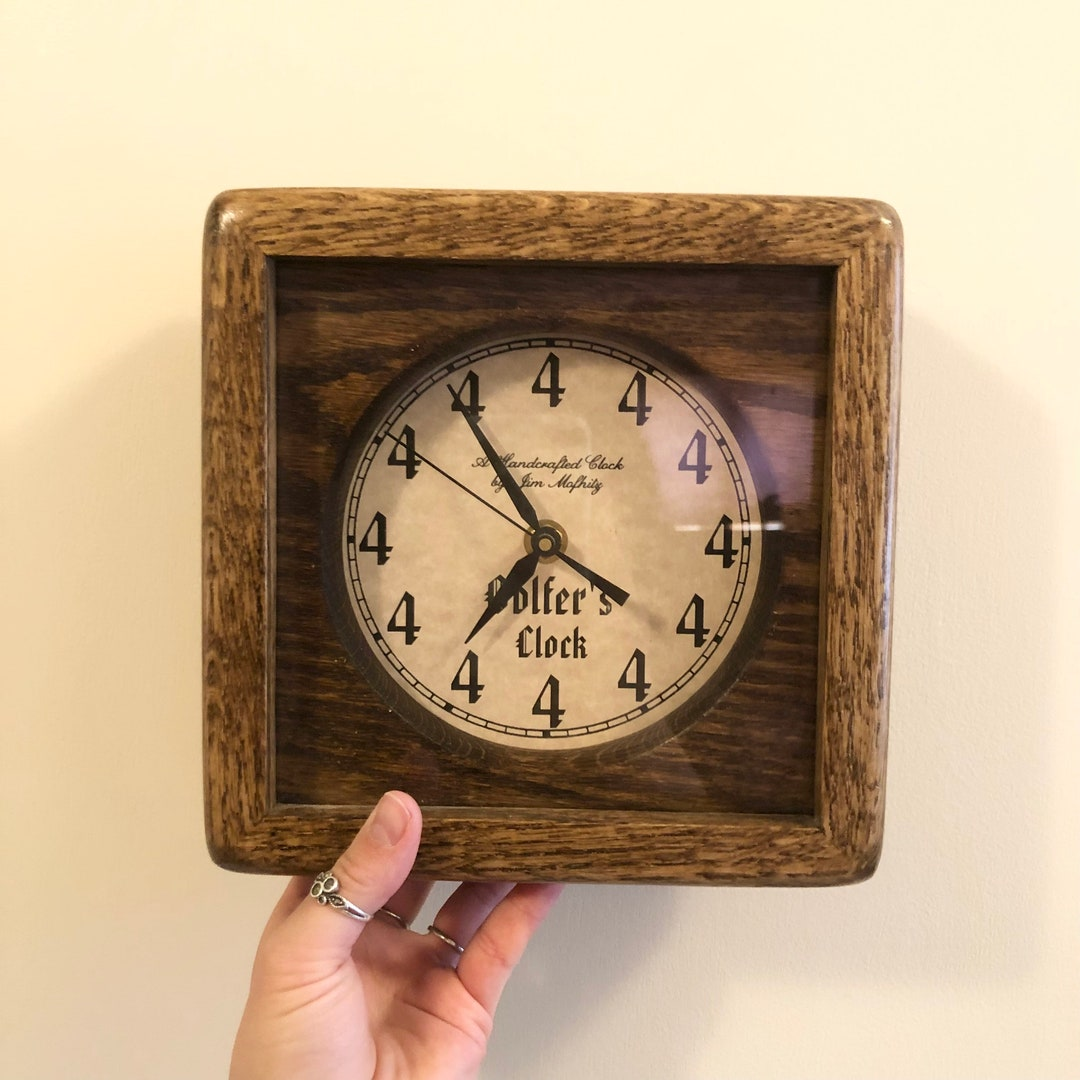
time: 6:54
